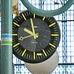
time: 9:57
